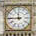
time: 11:45
